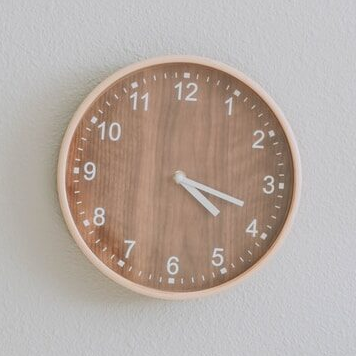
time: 4:18
